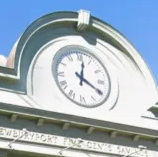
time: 12:19
